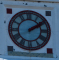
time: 2:09
